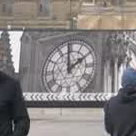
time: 1:59
